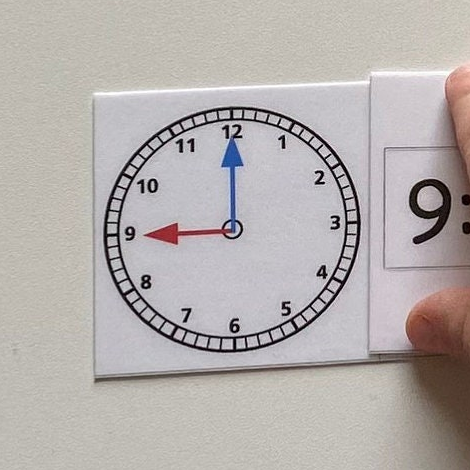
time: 8:59
